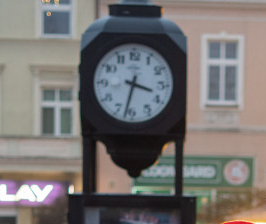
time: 3:32
